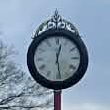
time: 12:28
